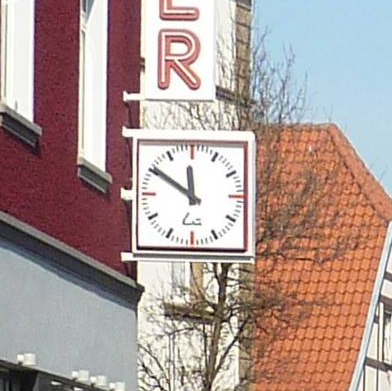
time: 11:50
